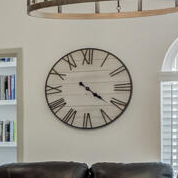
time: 4:21
